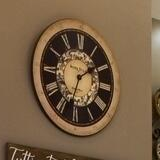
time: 1:33
